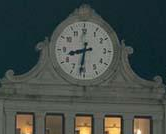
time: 8:31
